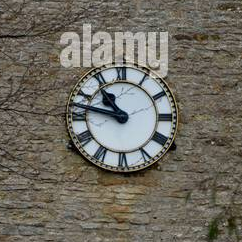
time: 10:47
